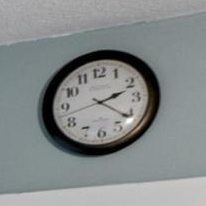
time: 2:20
